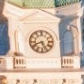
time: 8:26
